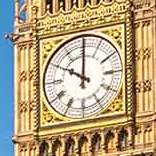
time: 10:00
